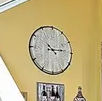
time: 10:13
